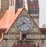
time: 10:41
